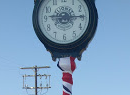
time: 9:14
